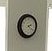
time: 2:21
